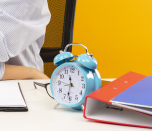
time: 11:31
